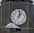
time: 1:01
